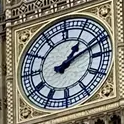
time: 1:11
